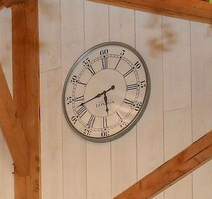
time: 5:42
